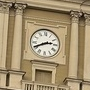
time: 2:40
